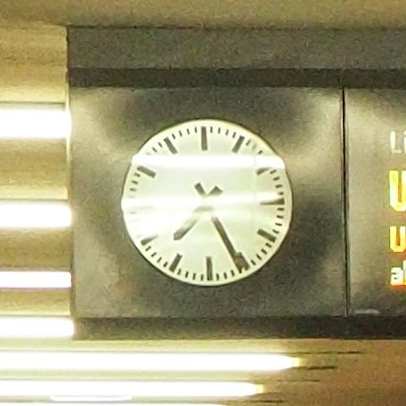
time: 7:25
